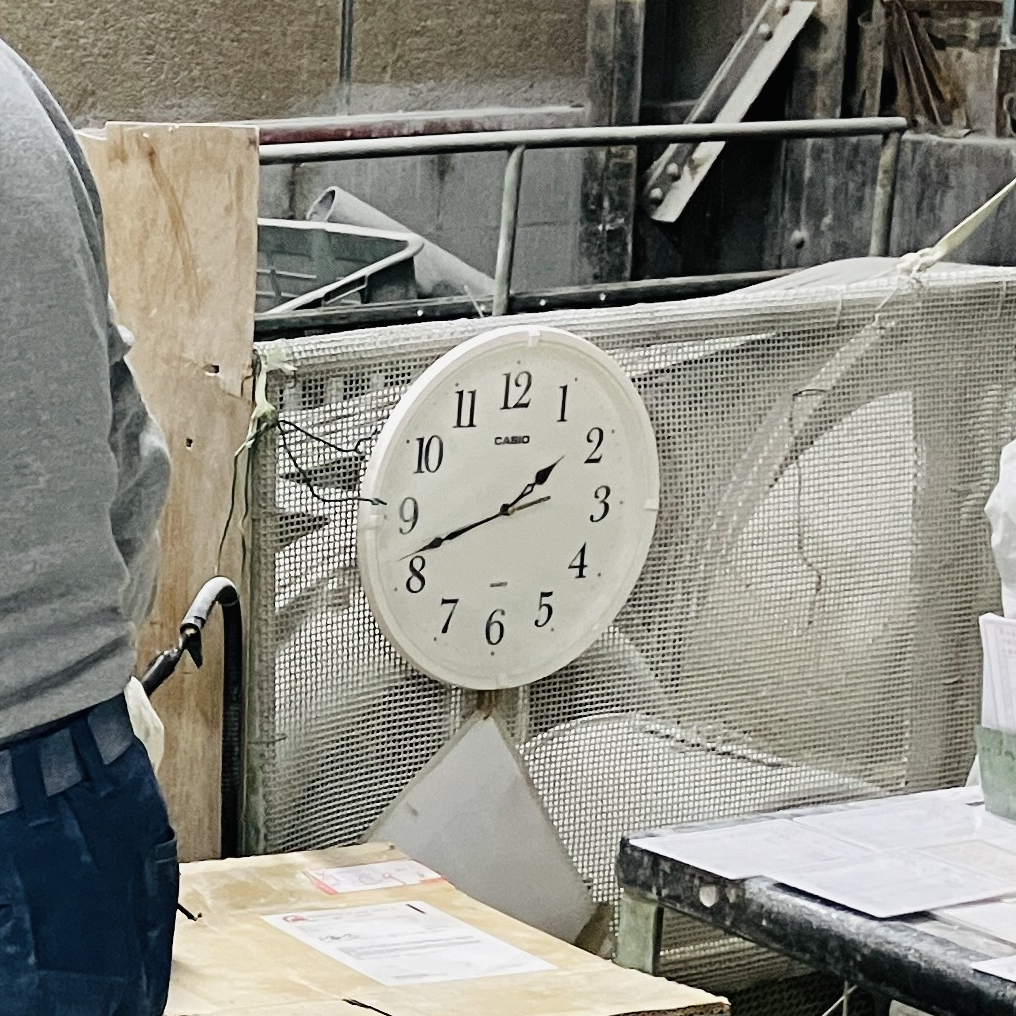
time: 1:41
